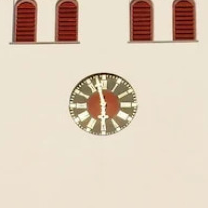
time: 5:57
